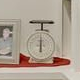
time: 6:00
